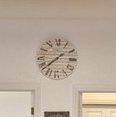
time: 1:38
